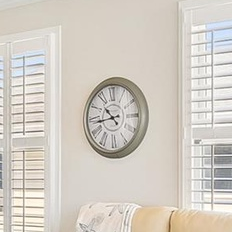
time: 10:43
